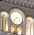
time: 7:37
